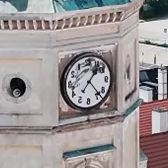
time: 1:23
